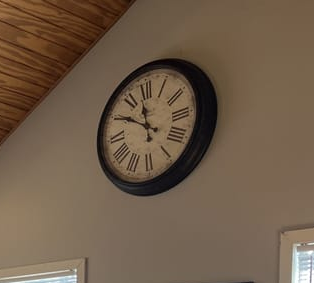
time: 11:50
